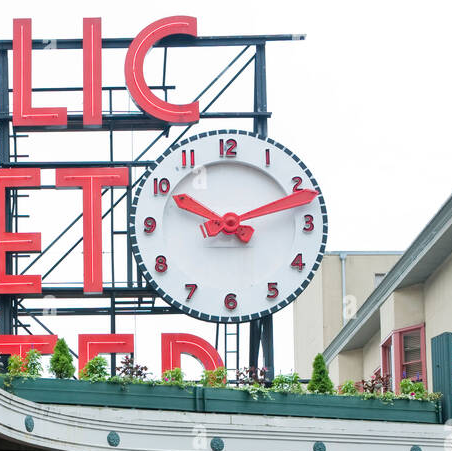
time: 10:11
